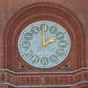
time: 1:59
